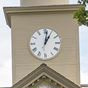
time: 1:02
